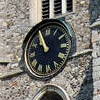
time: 10:56
